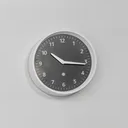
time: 10:16
